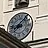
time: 8:07
